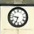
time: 6:47
